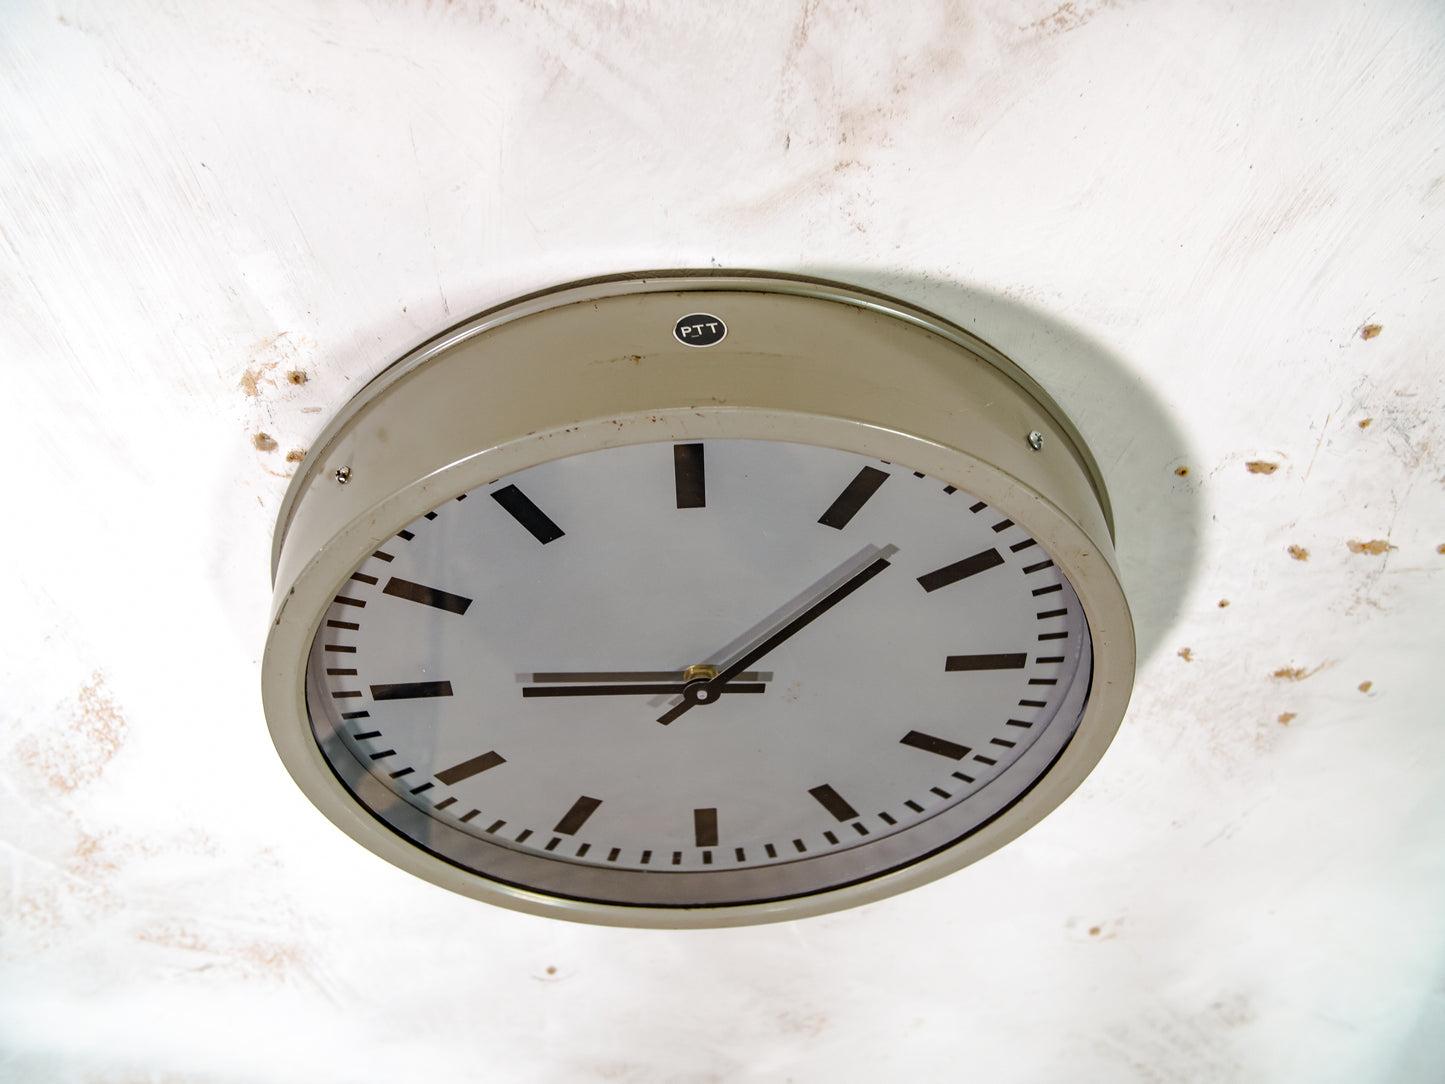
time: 9:07
